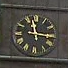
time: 11:16
